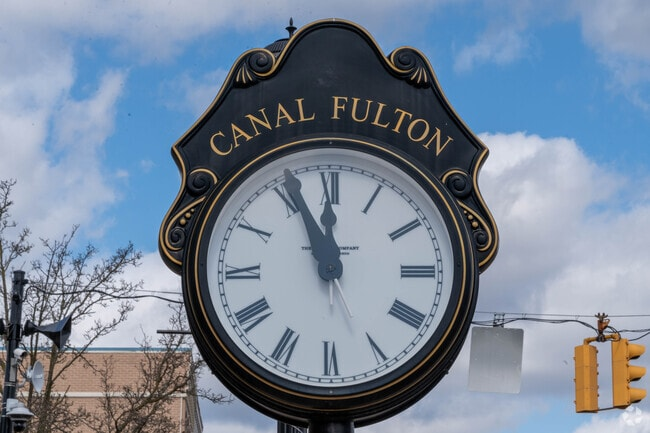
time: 11:55
